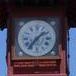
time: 1:36
